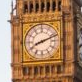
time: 8:11
